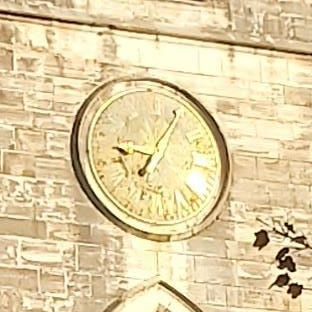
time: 9:05
